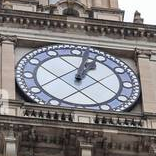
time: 1:02
